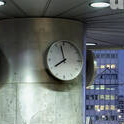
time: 7:58
